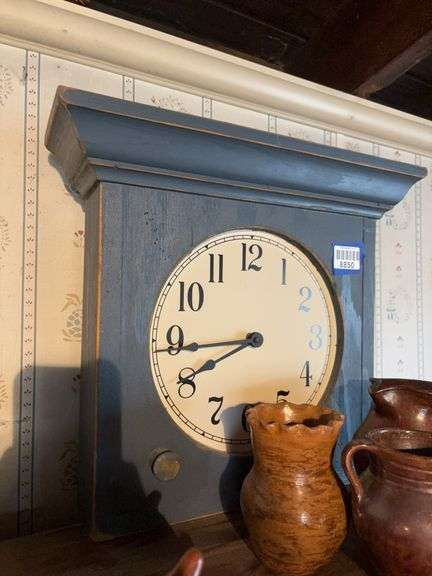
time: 8:40
